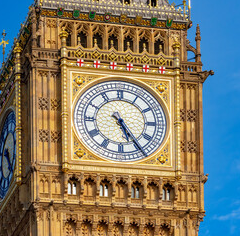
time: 5:24
